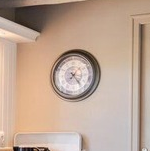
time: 7:23
